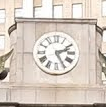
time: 2:25
